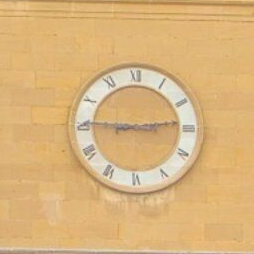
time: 9:13
